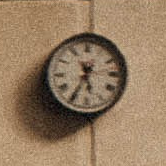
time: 5:35
